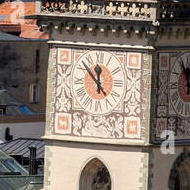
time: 11:54
